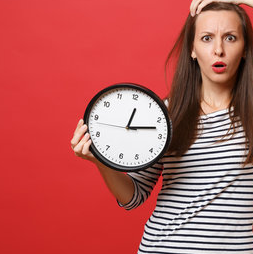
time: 12:12
